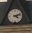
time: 4:12
